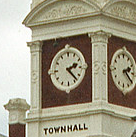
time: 2:22
